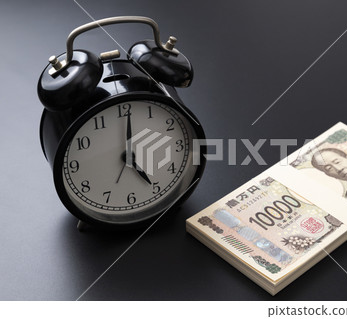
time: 5:01
